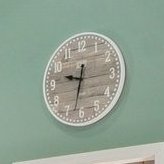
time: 9:32
